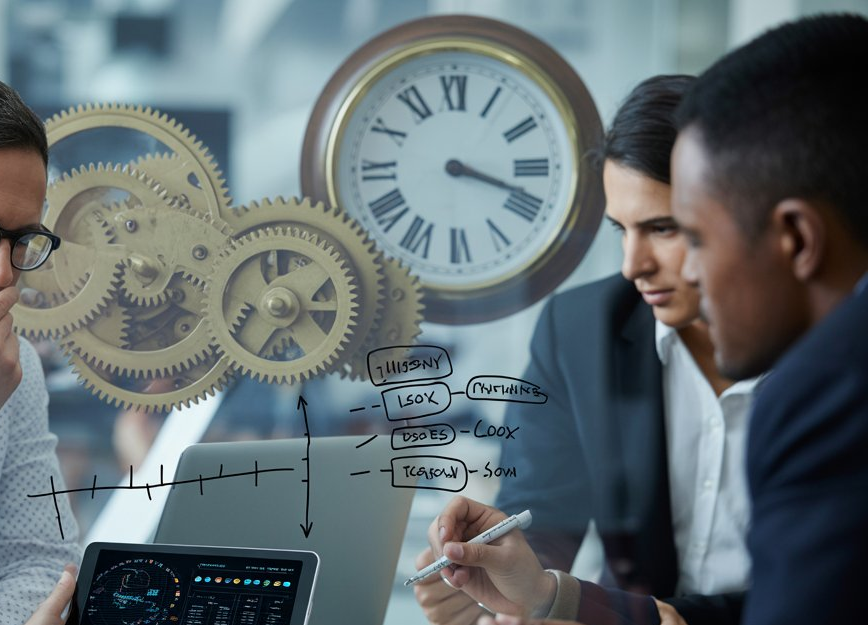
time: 3:18
